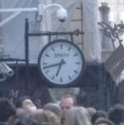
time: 6:42
